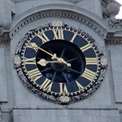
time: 8:50
